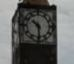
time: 10:30
